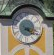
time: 4:17
